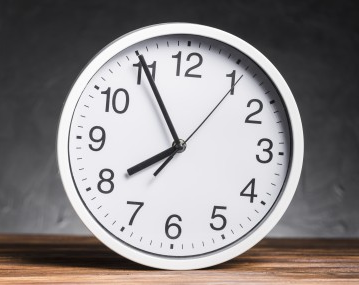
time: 7:55
